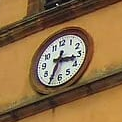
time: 3:34
